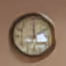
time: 12:09
